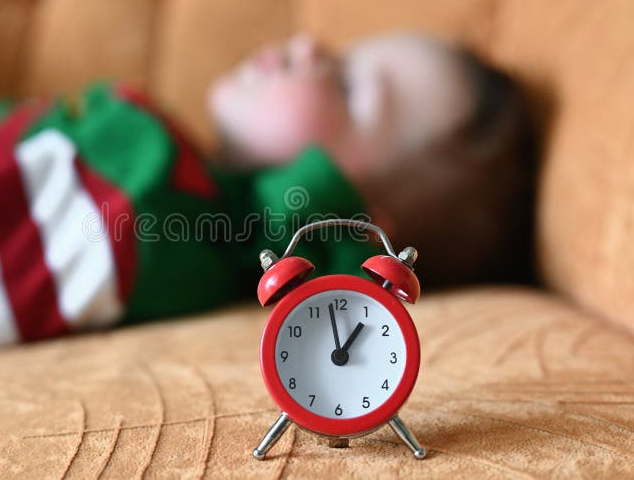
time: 12:58
